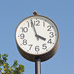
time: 3:57
